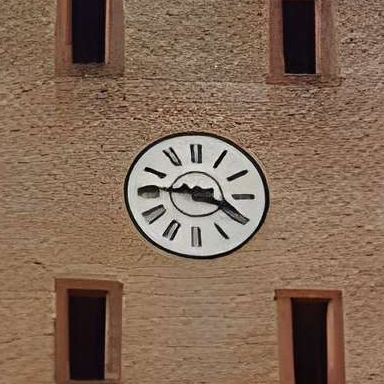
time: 3:45
